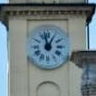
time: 12:57
